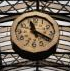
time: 11:19
